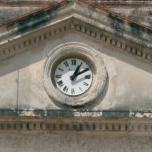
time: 1:10
